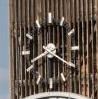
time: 8:19
